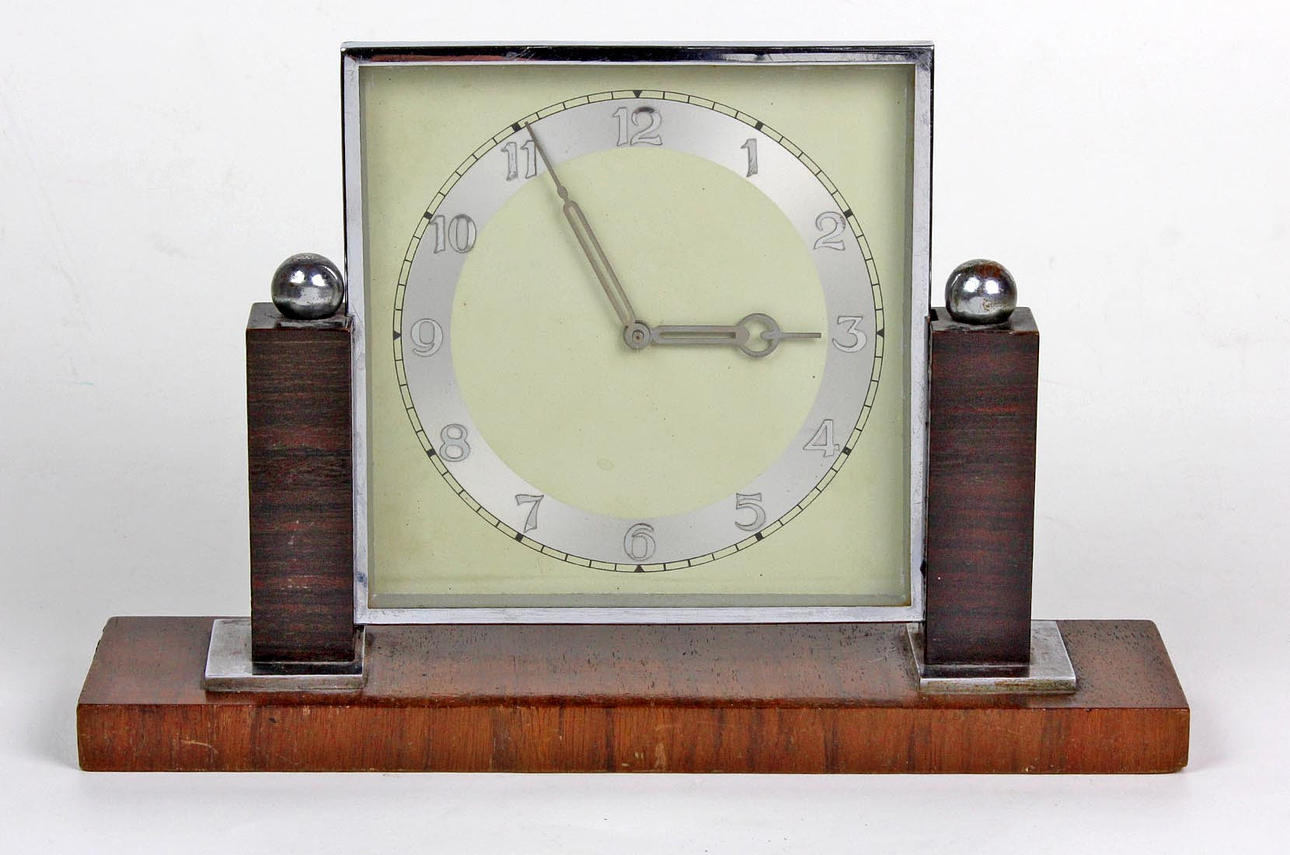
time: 2:55
